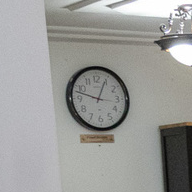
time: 12:47
